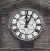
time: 12:05
